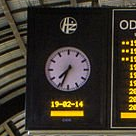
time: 7:33
